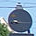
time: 8:14
